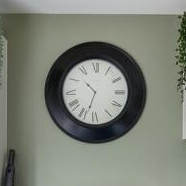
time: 10:32
